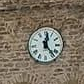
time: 12:23
